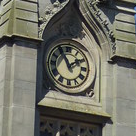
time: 1:55
